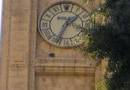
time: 1:34
